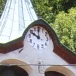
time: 10:00
